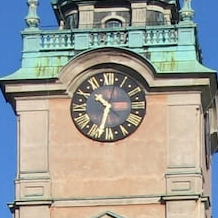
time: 10:32
